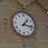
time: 1:16
